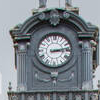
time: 3:12
